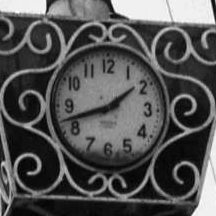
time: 1:42
